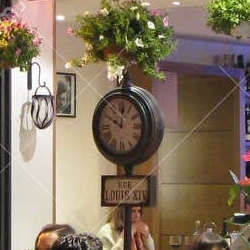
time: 10:00
